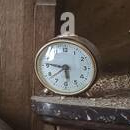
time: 5:46
